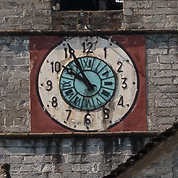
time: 9:55
